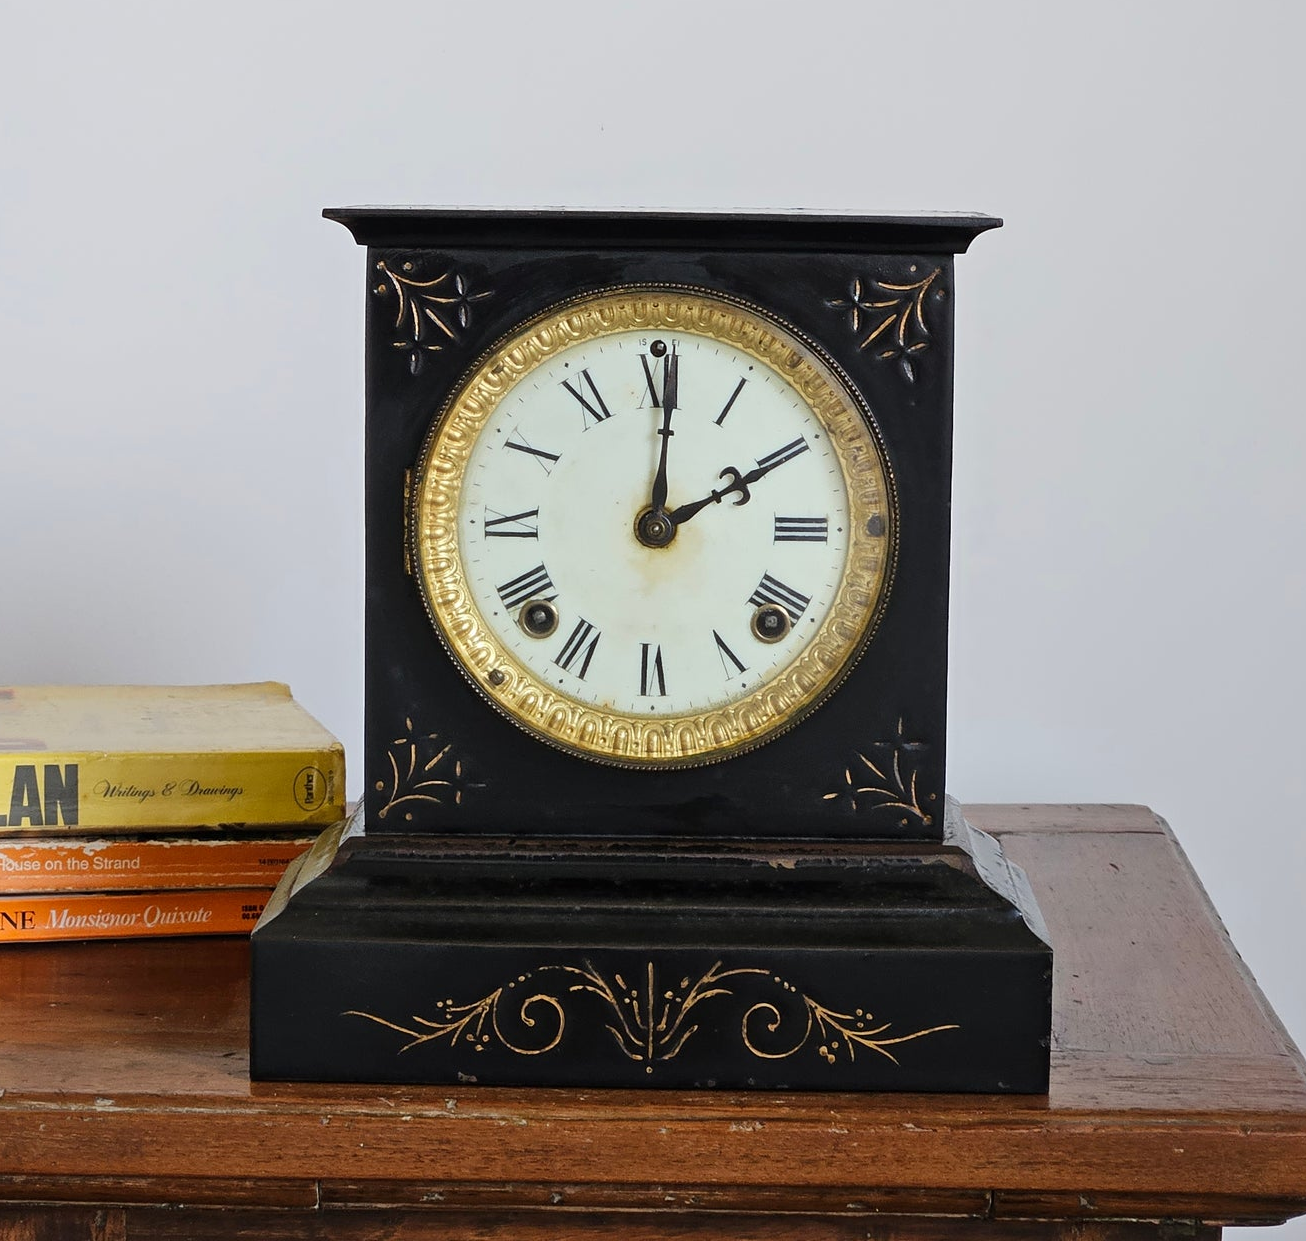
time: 2:00
